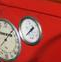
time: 1:38
